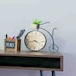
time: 3:42
